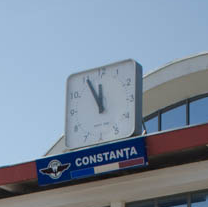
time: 11:55
